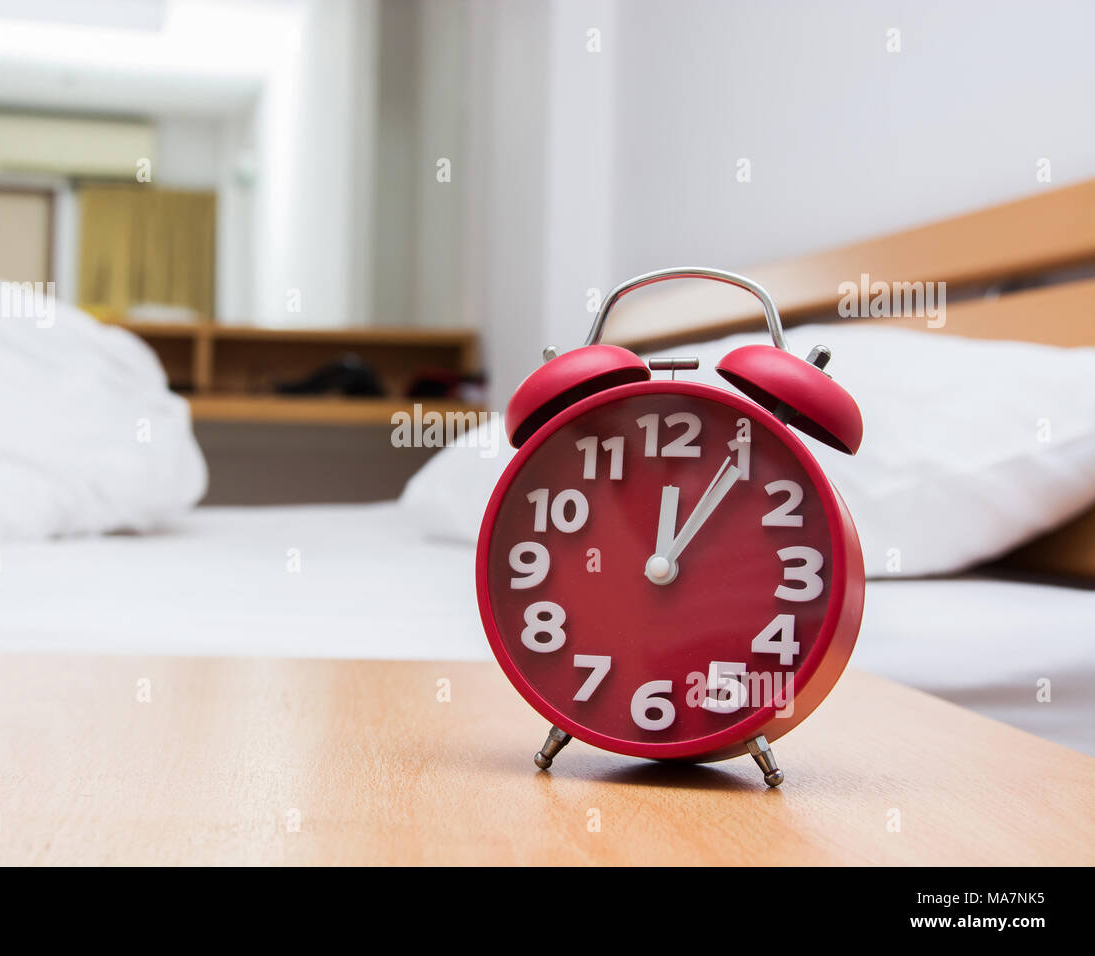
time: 12:05
